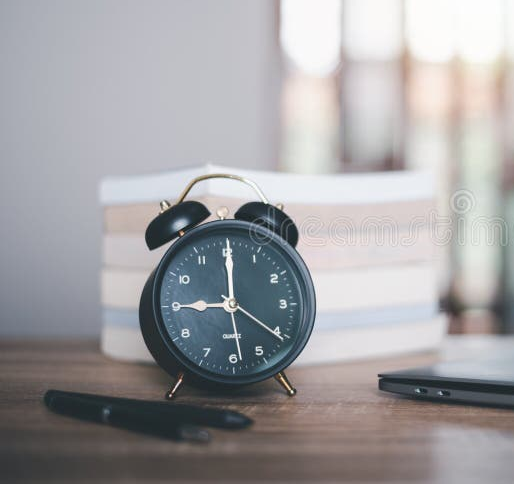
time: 9:00
